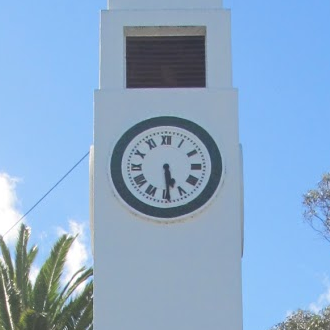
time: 5:29
